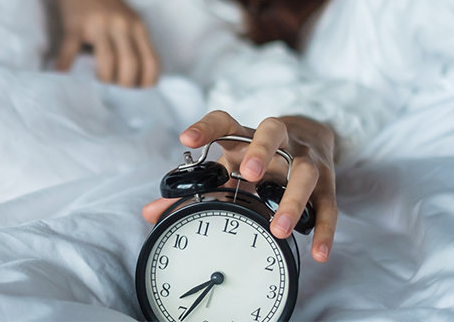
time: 7:34
